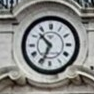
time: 10:34
